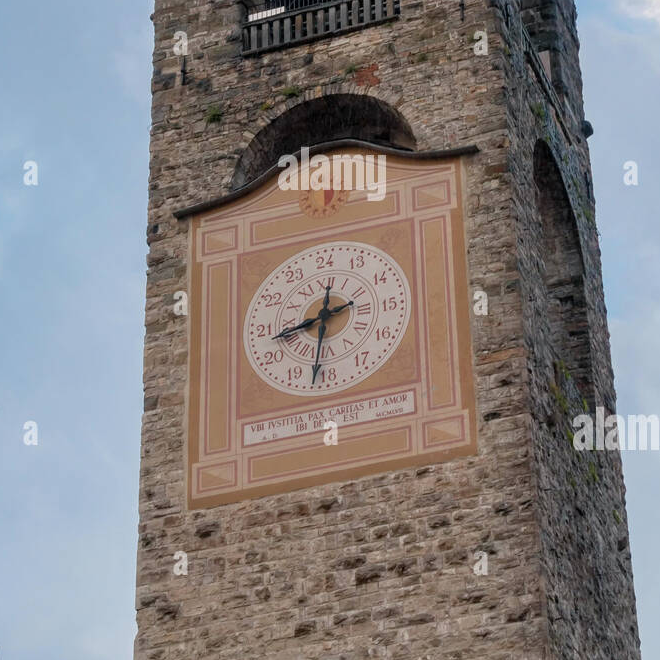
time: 8:32
